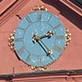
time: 2:23
